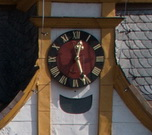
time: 12:26
